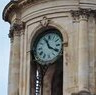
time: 11:20
